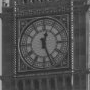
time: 12:26
